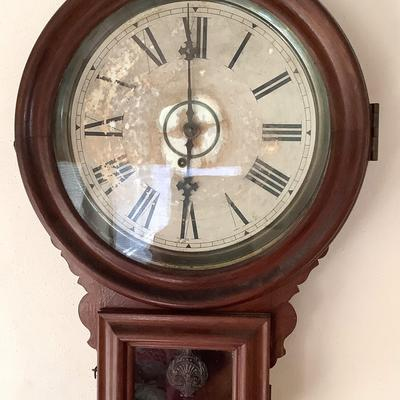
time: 5:59
